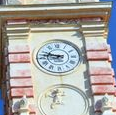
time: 8:47
